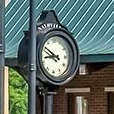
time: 8:50
